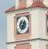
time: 12:34
